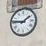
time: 1:46
